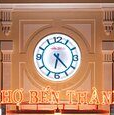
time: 6:22
